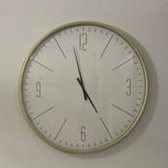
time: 4:57
